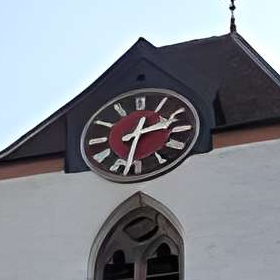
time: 2:32
